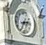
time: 2:34
